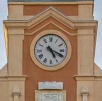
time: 5:19
